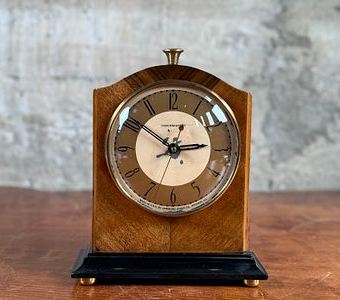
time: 2:50
